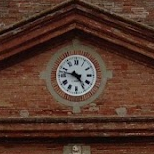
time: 4:47
